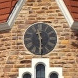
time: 11:29
